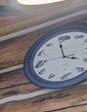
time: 3:58
